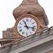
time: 11:17
